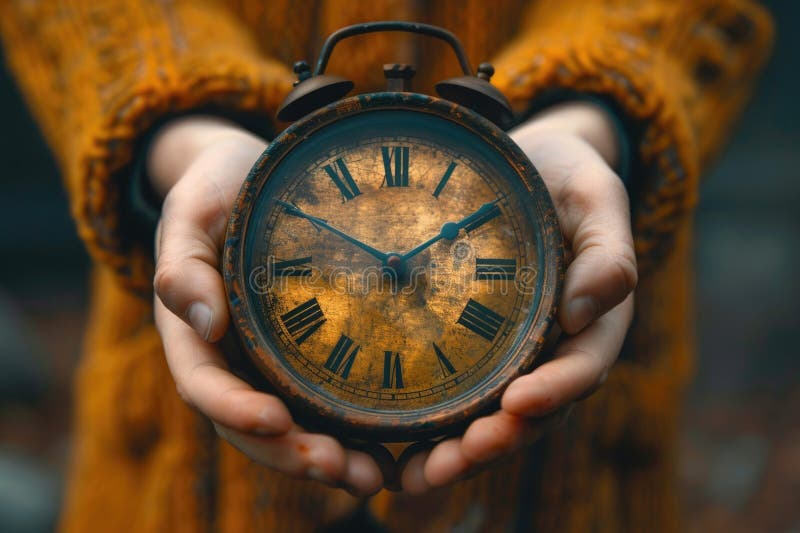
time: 1:50
